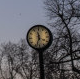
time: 11:33
